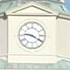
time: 9:20
